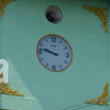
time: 9:47
